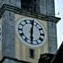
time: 6:01
